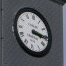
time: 3:15
